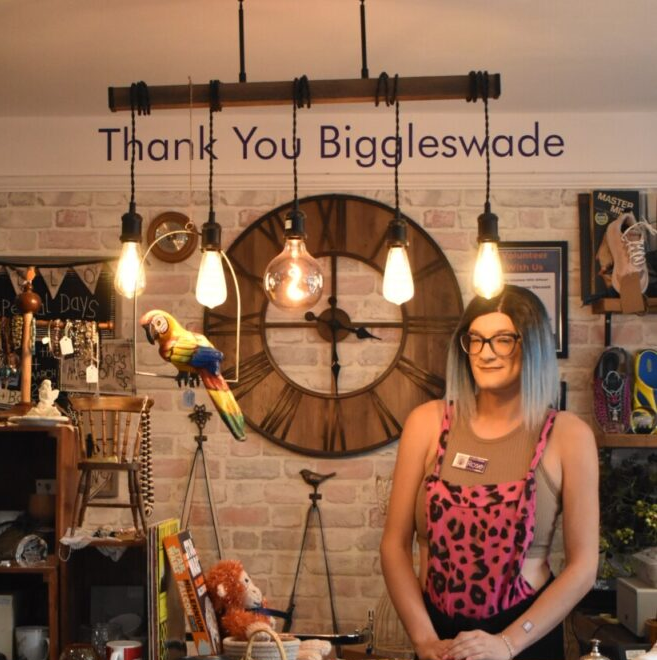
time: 5:59
